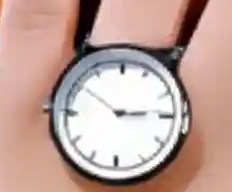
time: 2:50
